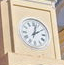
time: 2:02
